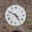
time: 4:49
